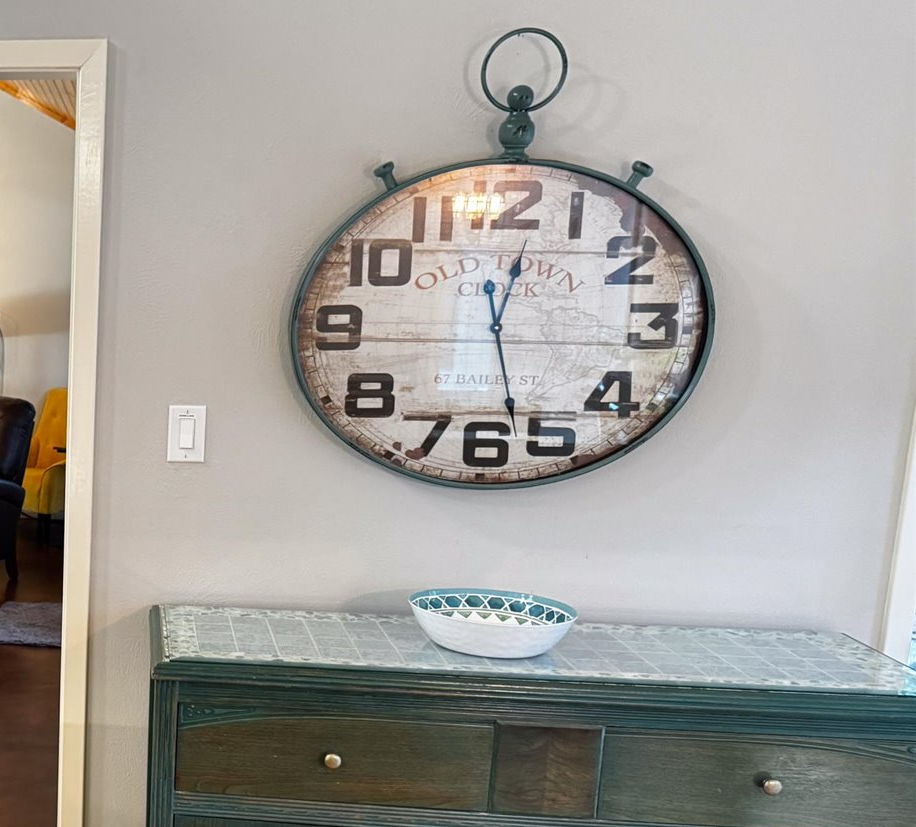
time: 12:27
